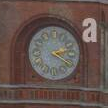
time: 4:12
